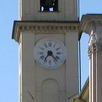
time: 7:22
